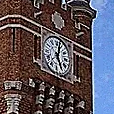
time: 12:24
